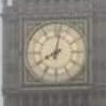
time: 8:01
